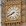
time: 7:40
